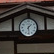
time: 1:29
